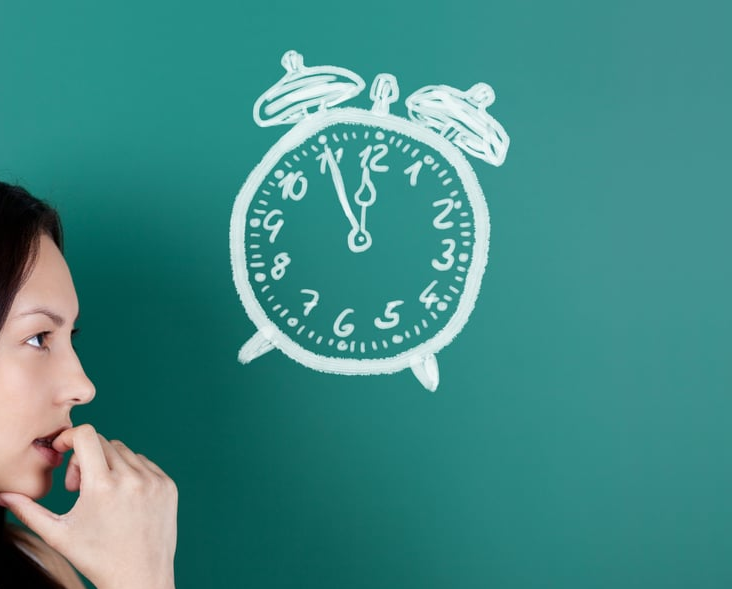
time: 11:55
